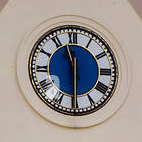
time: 11:30
